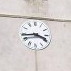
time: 3:43
